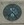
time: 7:23
